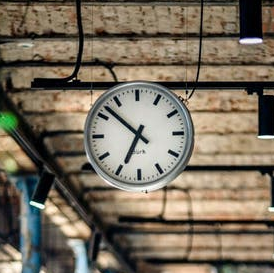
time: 6:52
